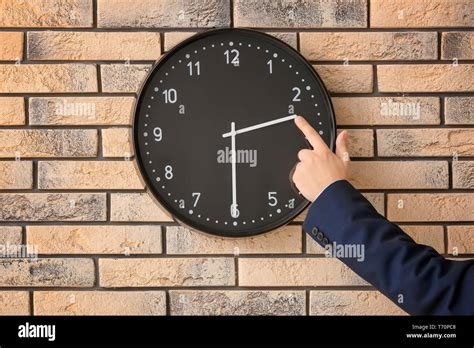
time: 2:30
